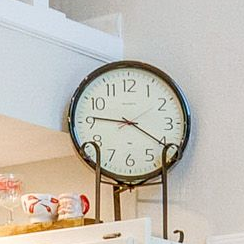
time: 9:20
